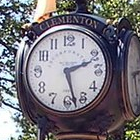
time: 2:27
